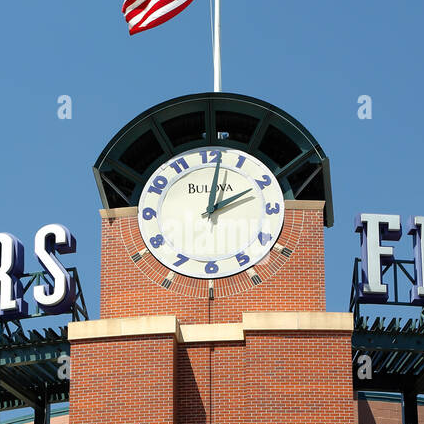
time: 2:01
